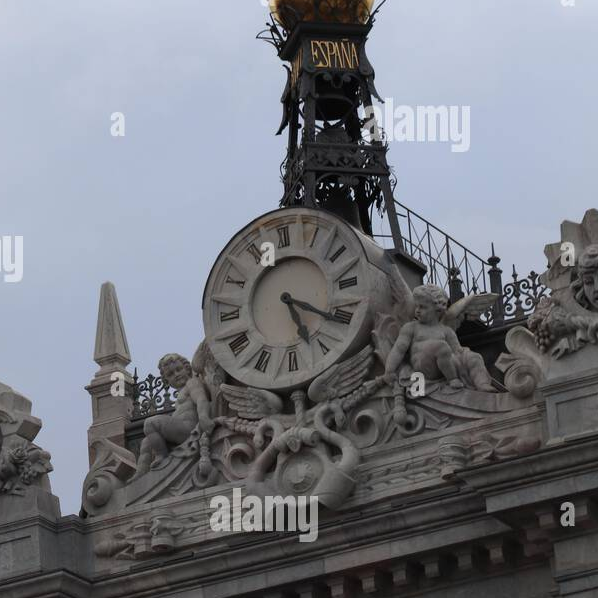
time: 5:20
